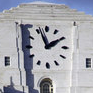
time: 1:56
